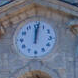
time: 12:01
